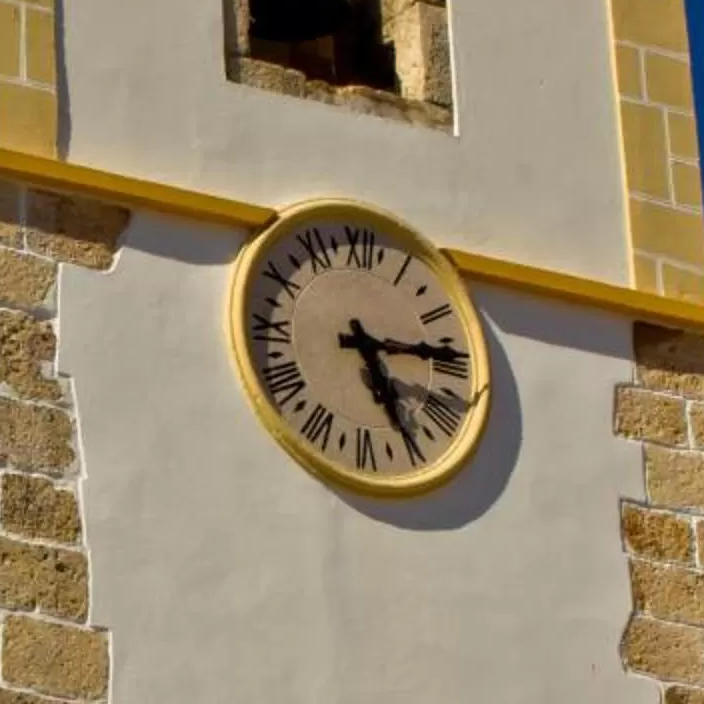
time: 5:14
